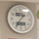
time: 9:36
